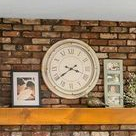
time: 3:39
